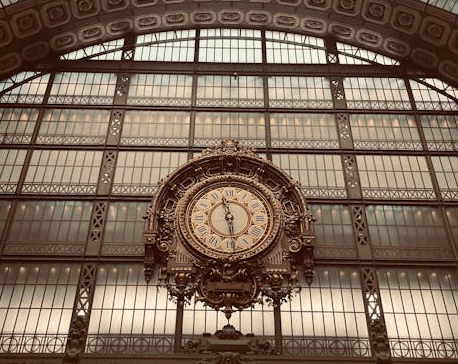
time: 11:28
